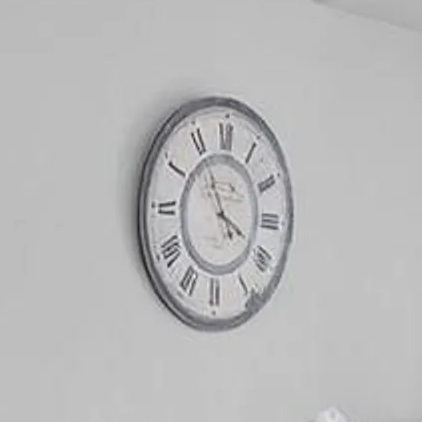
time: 3:55
